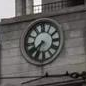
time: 7:34
